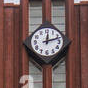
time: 12:11
